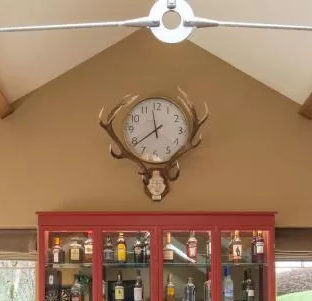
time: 11:38
